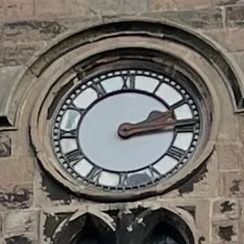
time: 2:14
